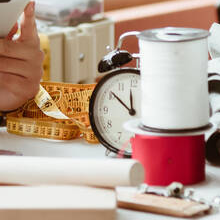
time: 11:51
